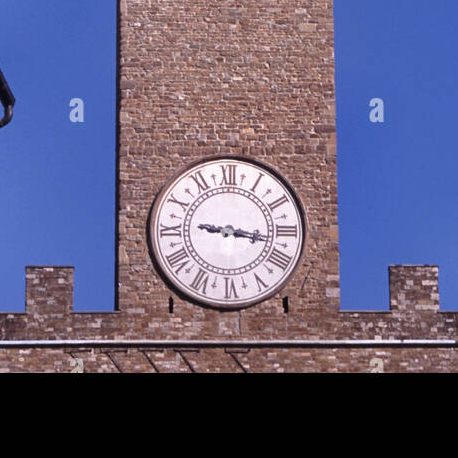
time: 9:16
